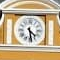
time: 4:28
